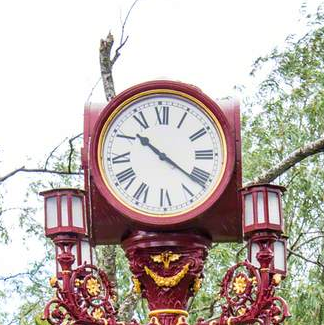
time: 10:21
